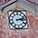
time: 3:12
